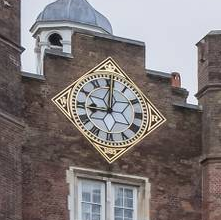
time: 9:00
